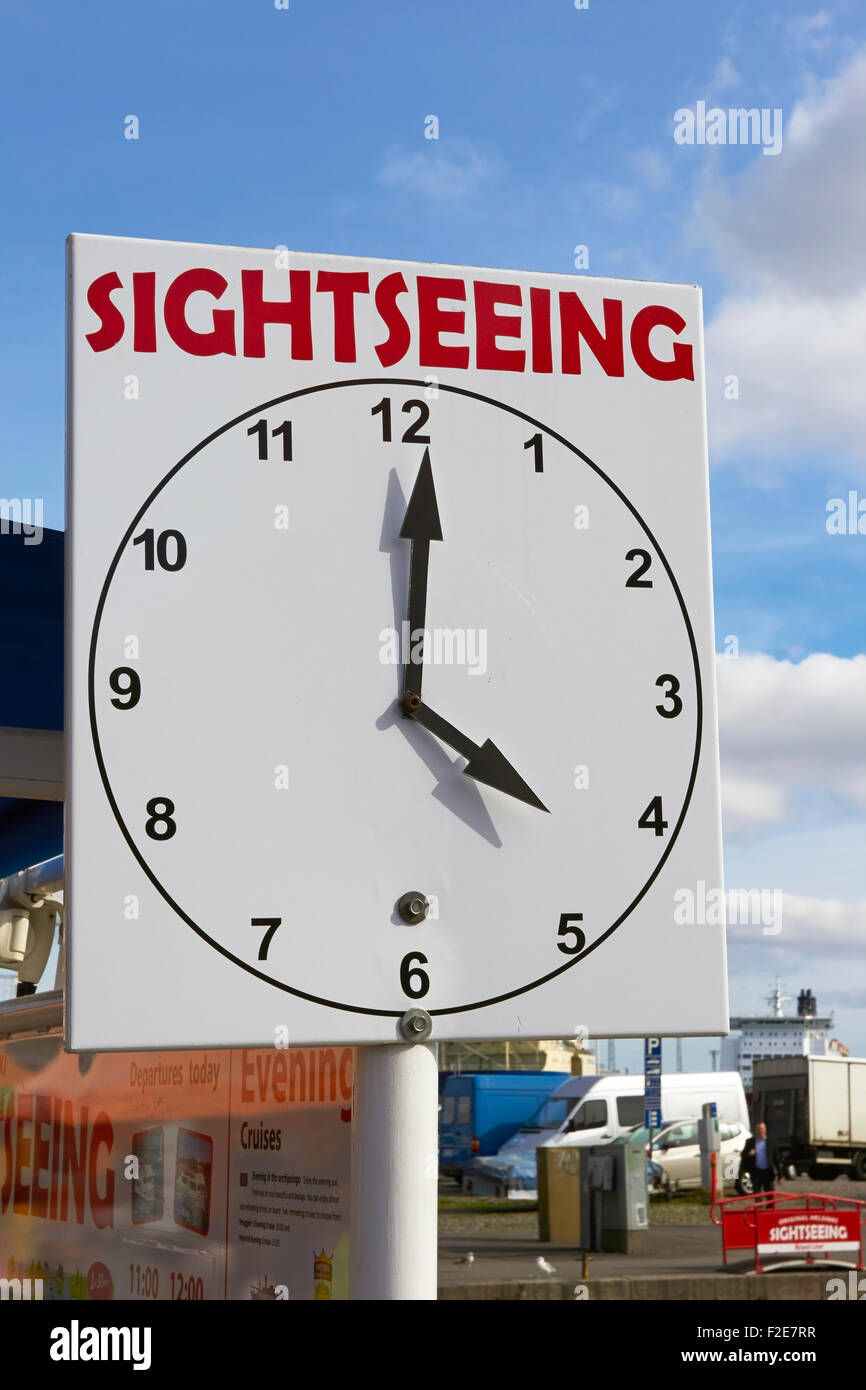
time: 4:00
